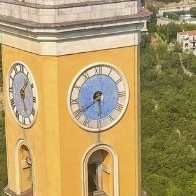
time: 5:39
